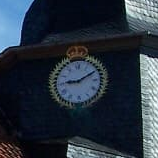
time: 9:10
